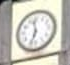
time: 11:33
